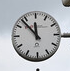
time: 11:53
